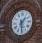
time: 1:29
